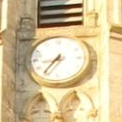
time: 8:36
